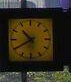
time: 10:39
